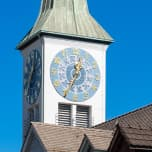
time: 12:34
